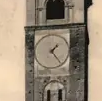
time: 1:23
